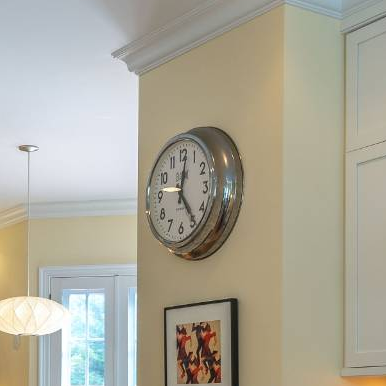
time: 12:23
